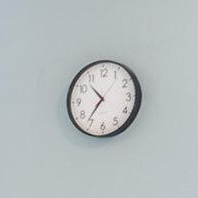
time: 10:36
